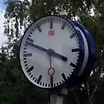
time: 3:48
